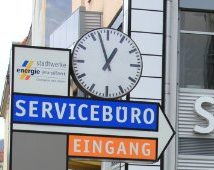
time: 12:57
